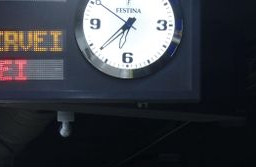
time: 6:37
